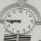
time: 8:45
